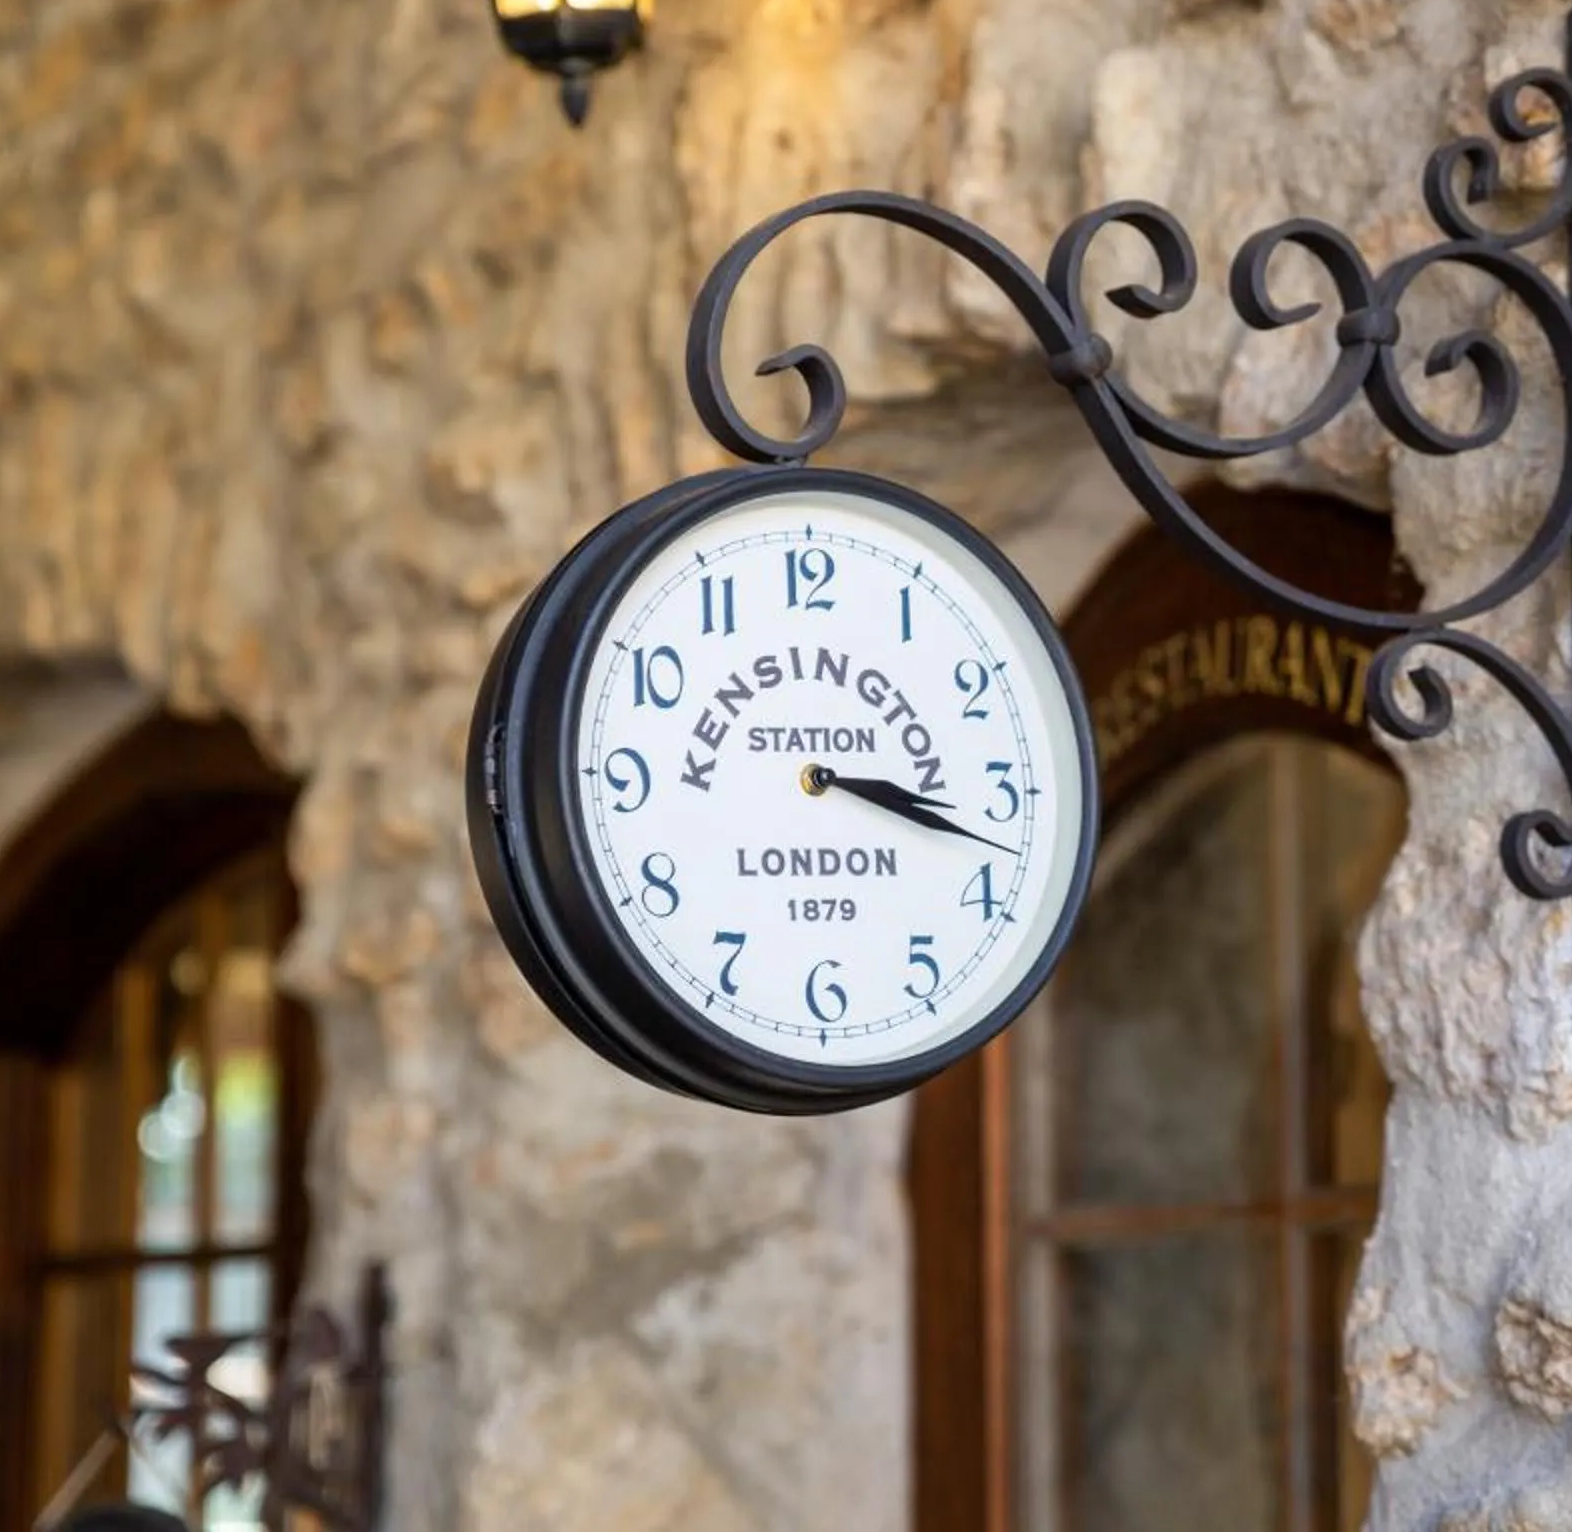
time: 3:17
